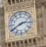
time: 2:40
